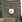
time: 8:37
